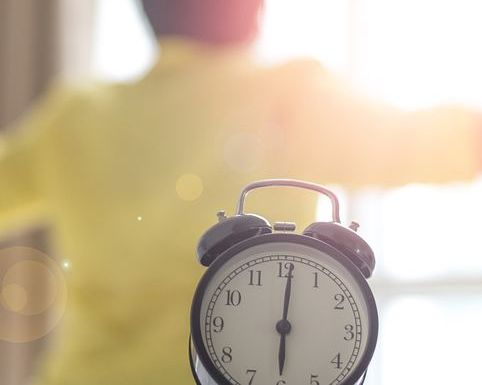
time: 6:00
